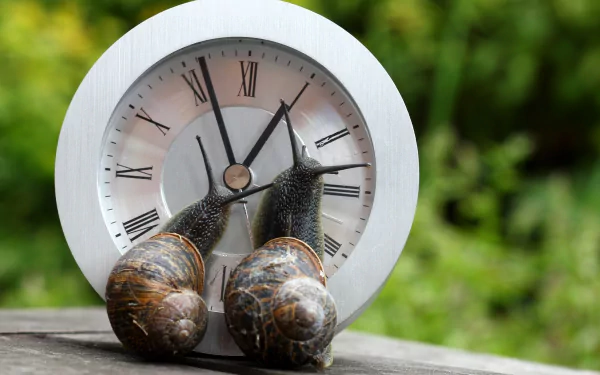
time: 12:56
